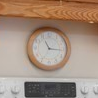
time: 11:15
